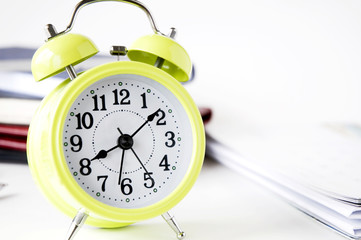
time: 8:08
